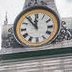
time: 11:53
